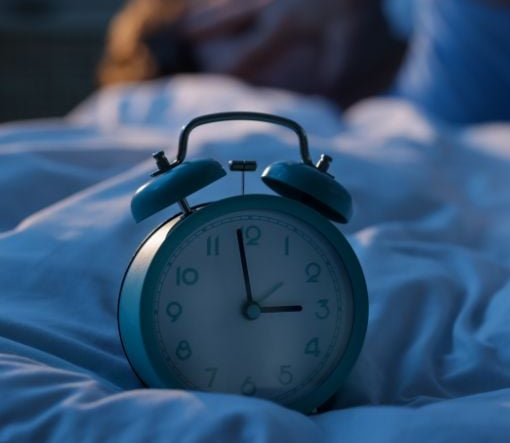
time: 2:58
